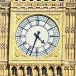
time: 4:33
